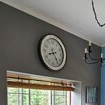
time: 8:24
